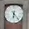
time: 6:23
